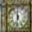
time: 11:32
